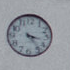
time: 3:23
